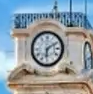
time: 6:10
